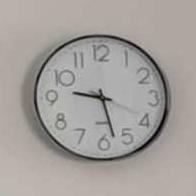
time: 9:27
